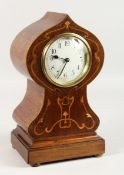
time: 9:34
